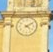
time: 4:09
